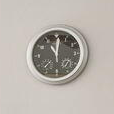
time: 11:01
